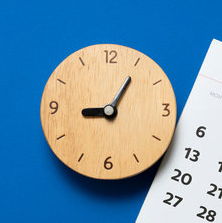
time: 9:05
